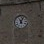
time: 11:04
